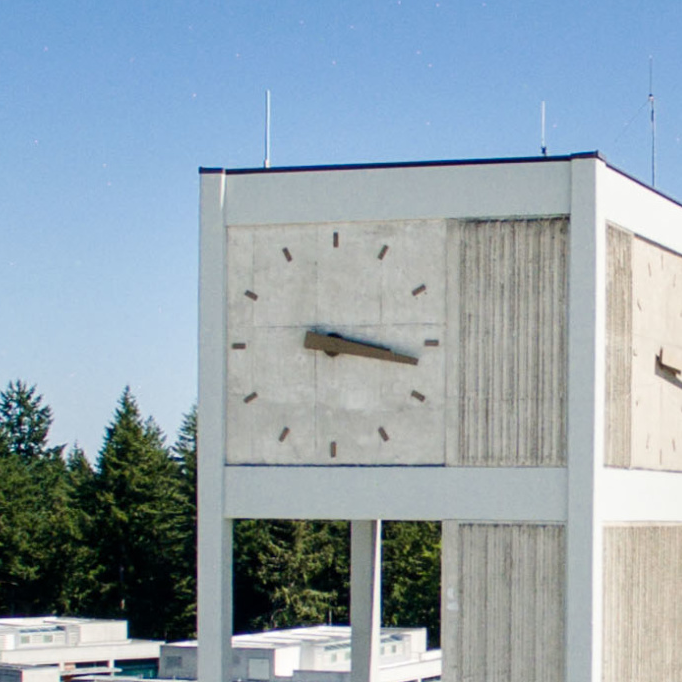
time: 3:17
